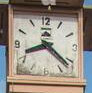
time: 8:21
